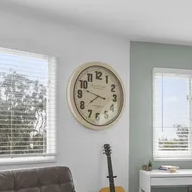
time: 7:47
